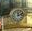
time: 12:11
